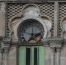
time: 2:48
